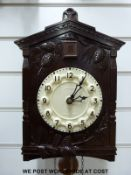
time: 3:05
